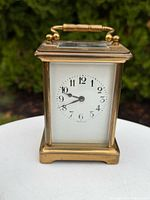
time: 9:42
